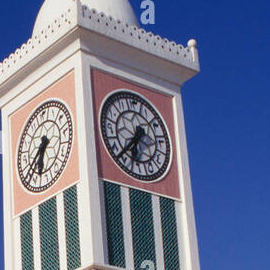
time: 6:38
